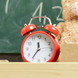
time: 11:35
